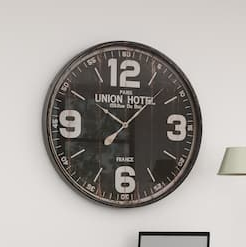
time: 10:07
